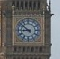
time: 8:51
